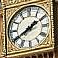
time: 1:39
